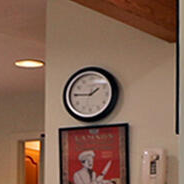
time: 1:45
